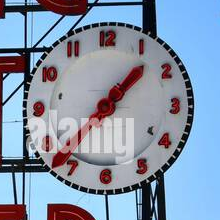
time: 1:37
